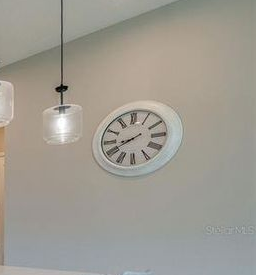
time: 8:40
